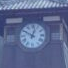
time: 12:49
